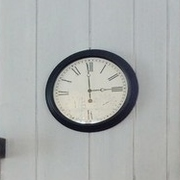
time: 2:59
